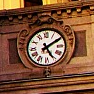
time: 5:09
